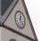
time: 12:23
